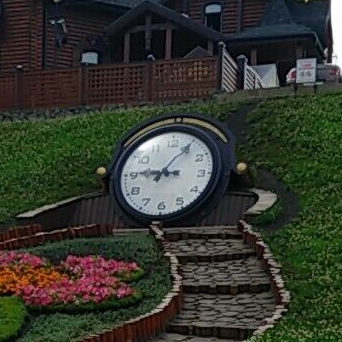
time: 9:05
